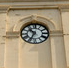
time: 10:34
